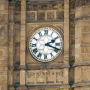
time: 2:18
